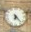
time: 6:23
